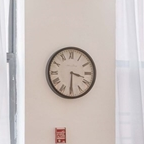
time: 3:30
